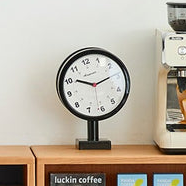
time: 10:14
